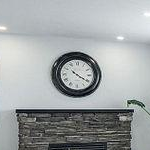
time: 10:20
